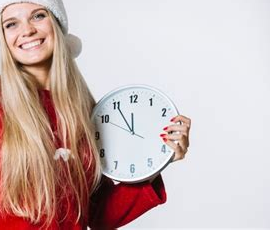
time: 11:54
